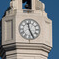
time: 11:25
